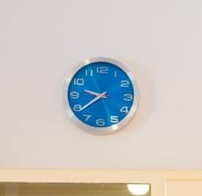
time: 9:38
